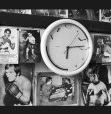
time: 6:14
